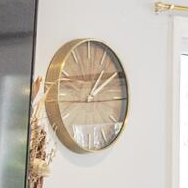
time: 1:09
